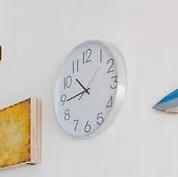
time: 10:44
